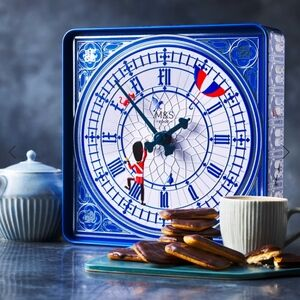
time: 1:52
